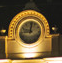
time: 9:01
